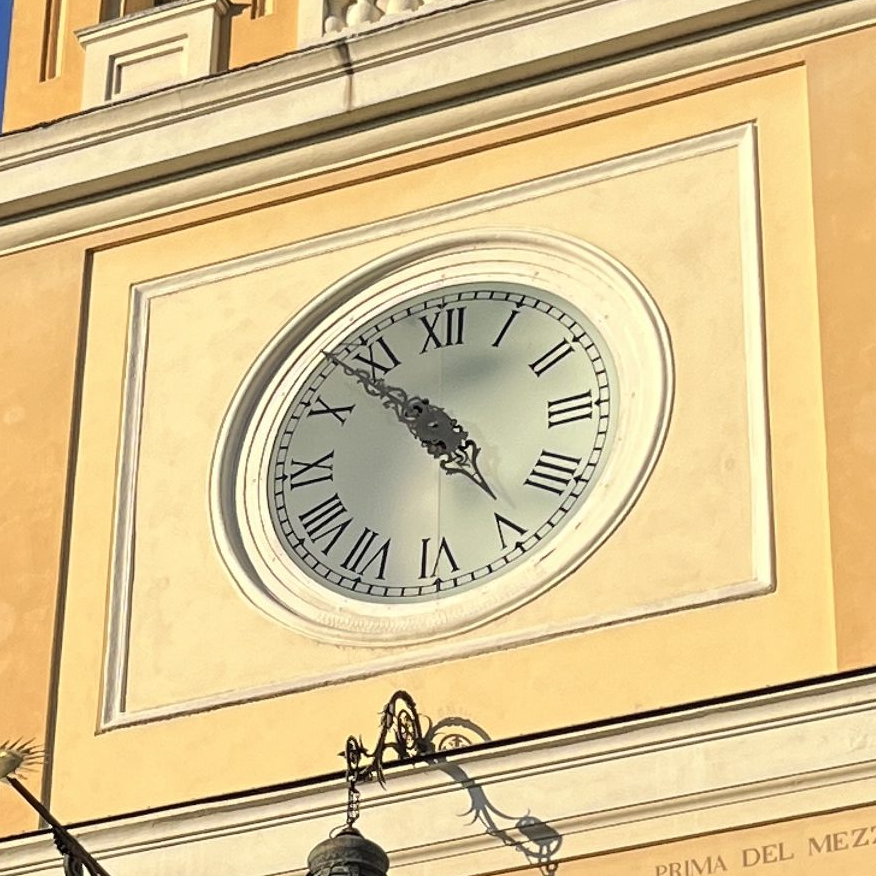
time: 4:53
